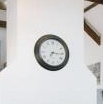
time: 7:15
